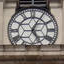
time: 5:05
